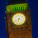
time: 6:40
